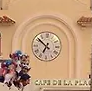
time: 6:51
